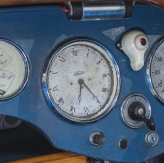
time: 6:24
